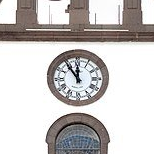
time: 11:54
